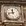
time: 11:42
